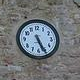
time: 5:26
